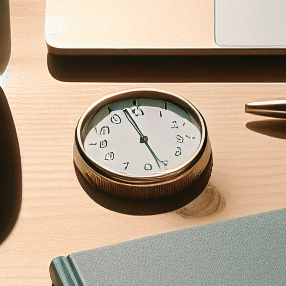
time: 11:26
